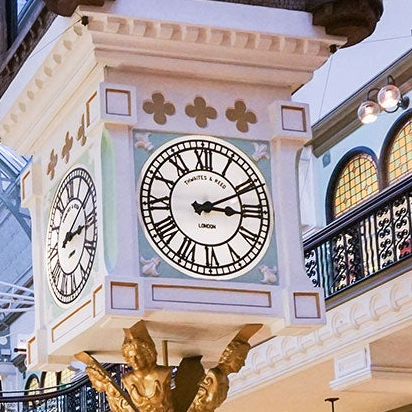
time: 3:10
